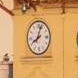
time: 8:03
